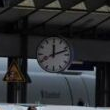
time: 12:11
